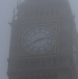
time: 8:12
